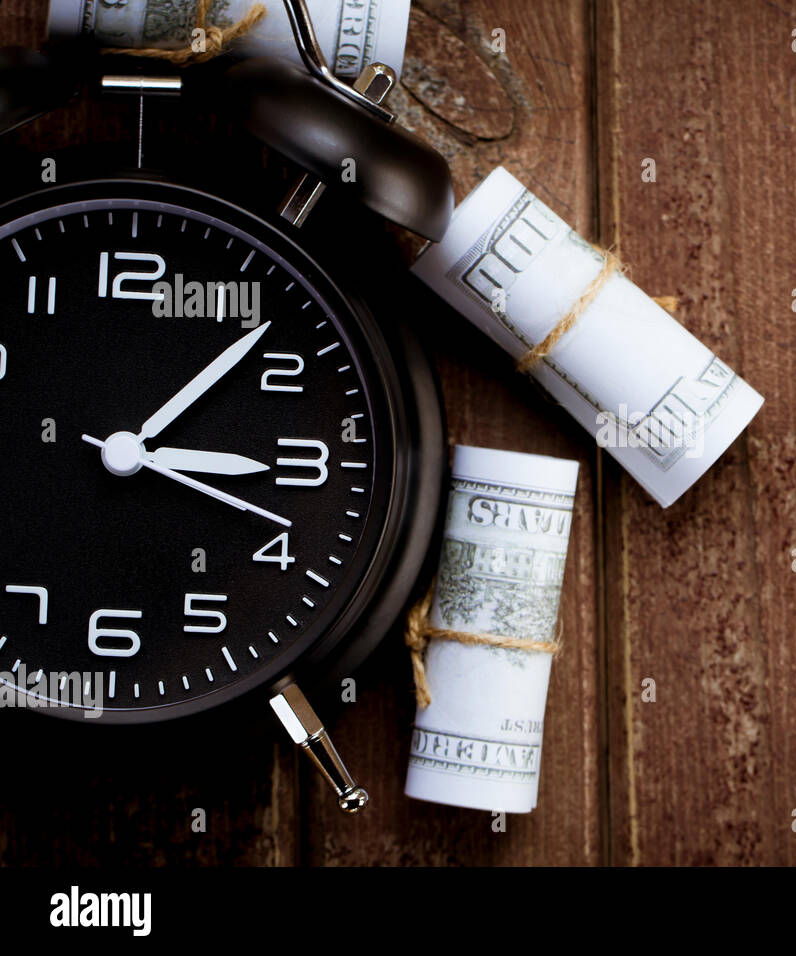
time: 3:07
